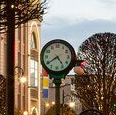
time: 4:39
